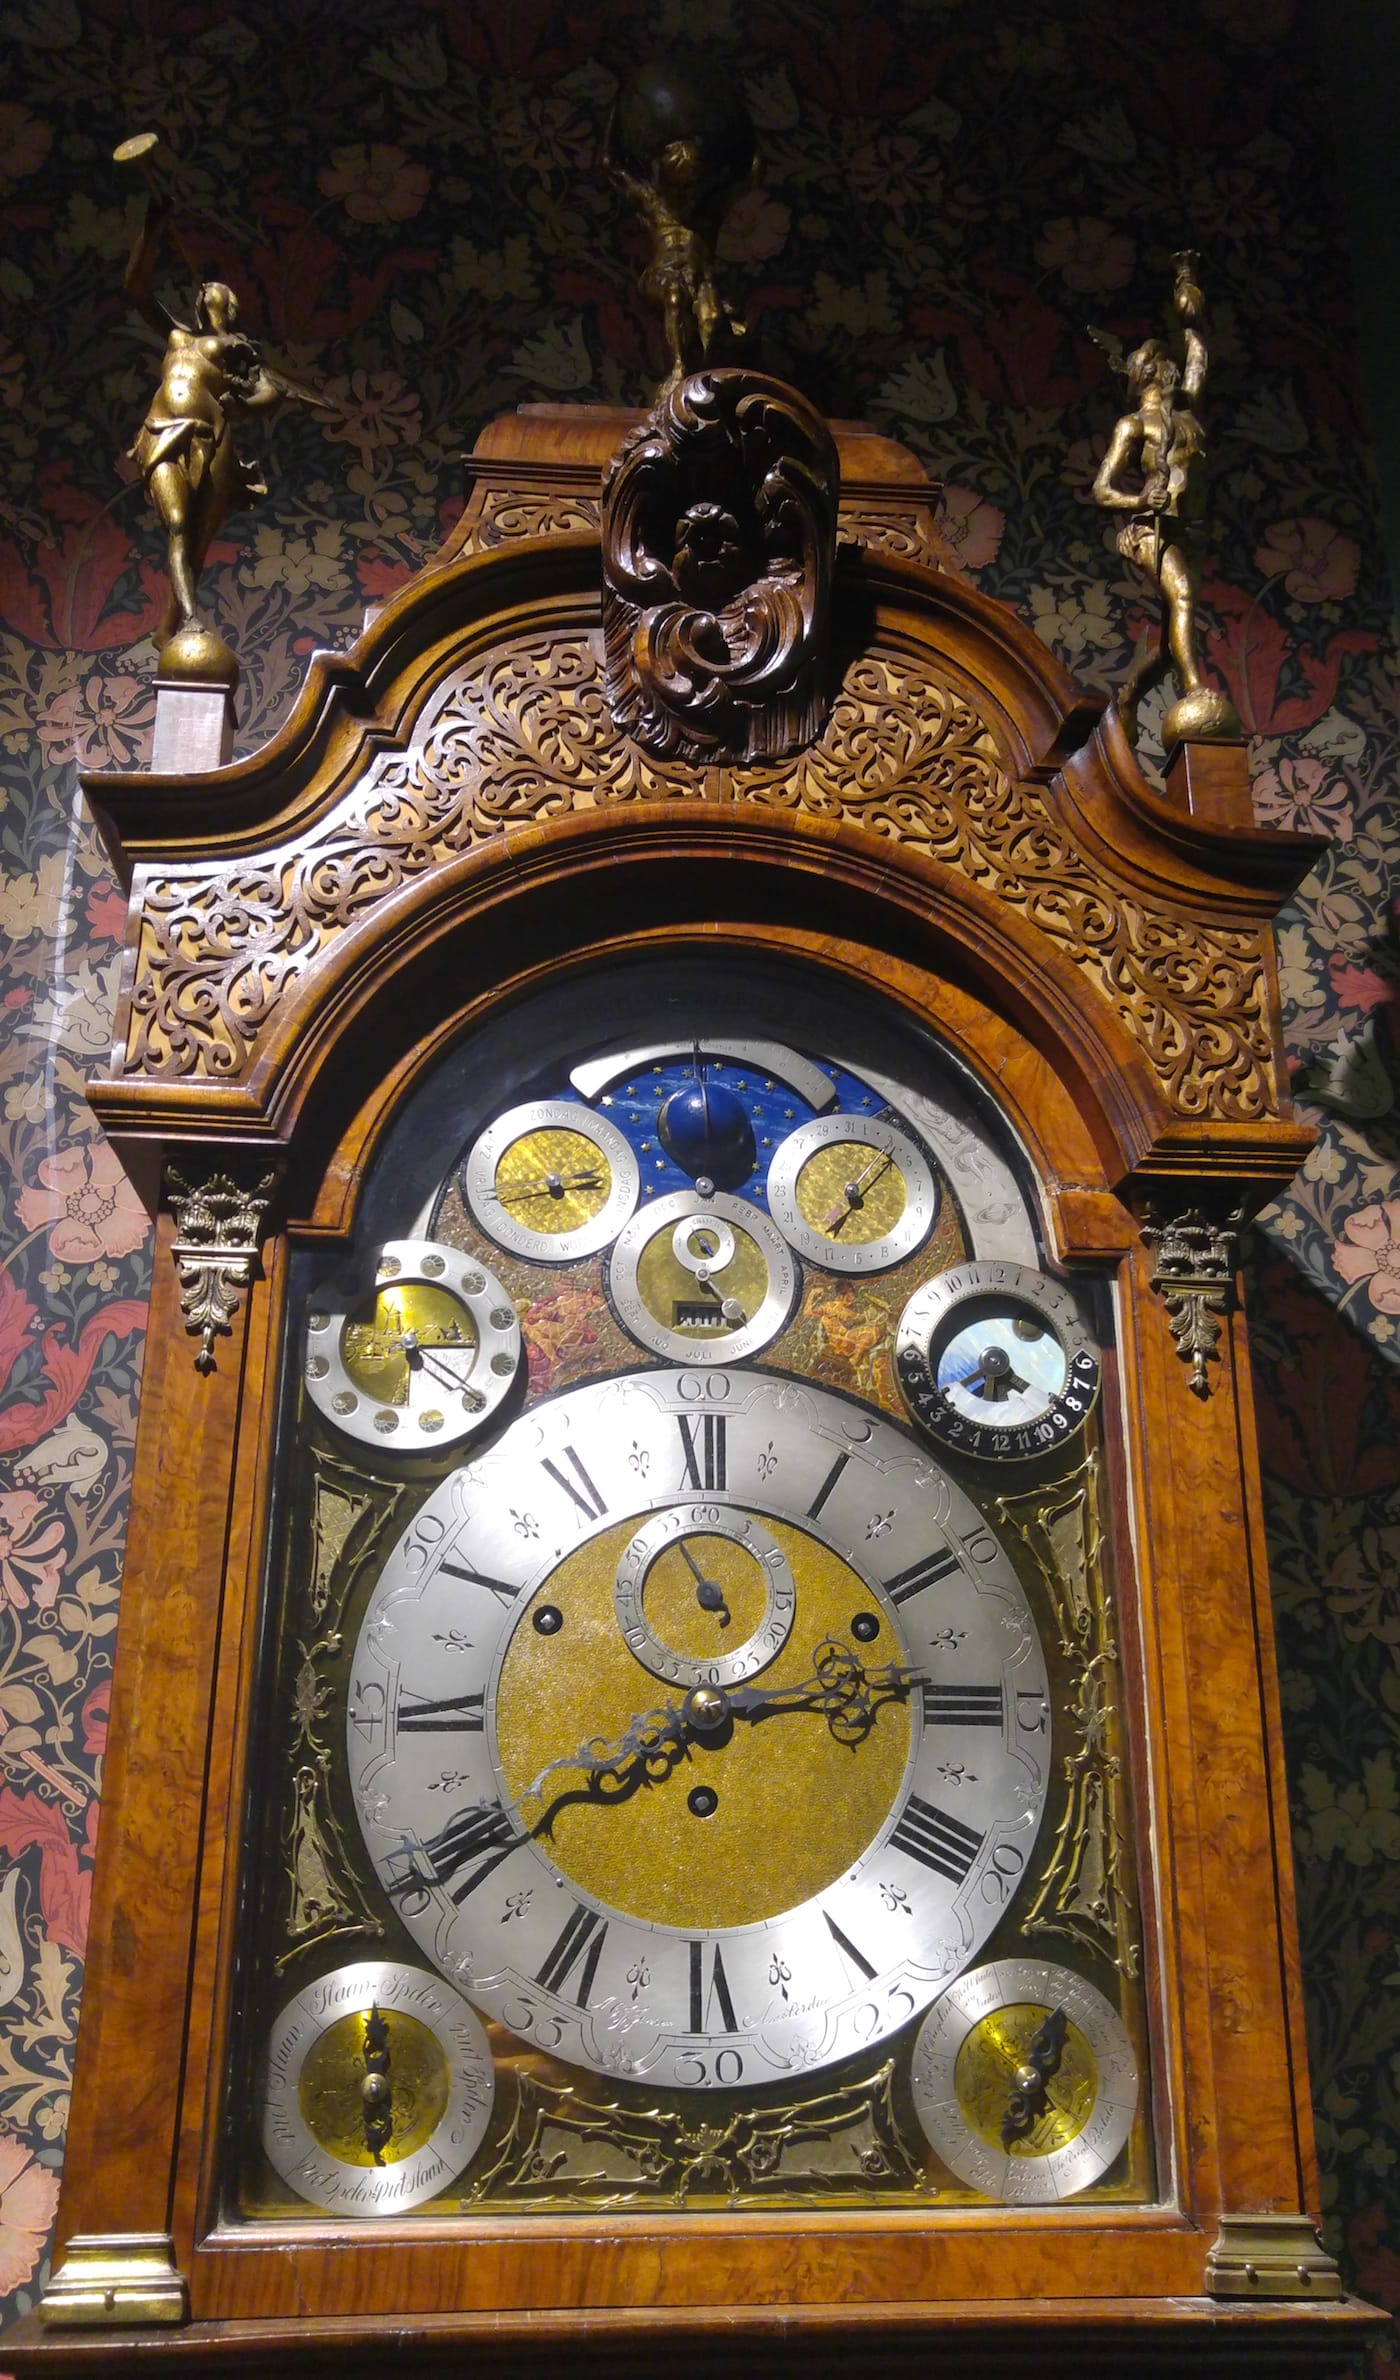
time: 7:40
